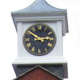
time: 2:50
